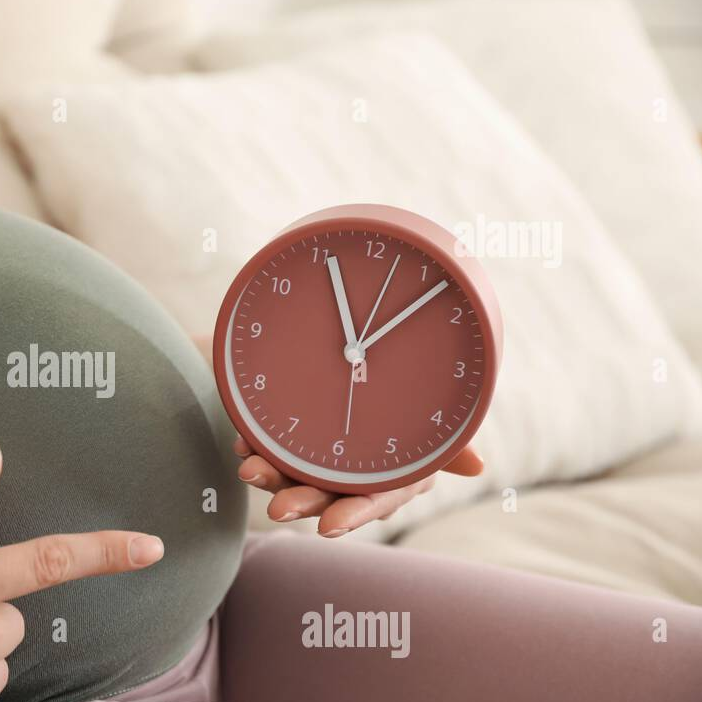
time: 11:07
